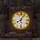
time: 8:05
